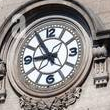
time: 8:54
